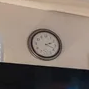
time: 2:18
